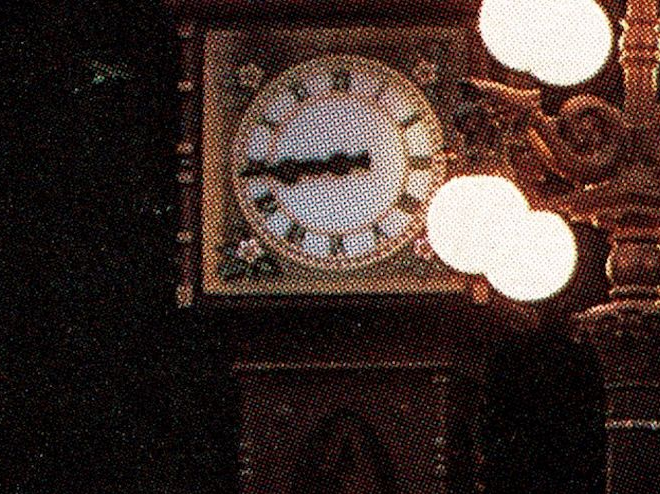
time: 8:44
